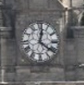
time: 12:21
